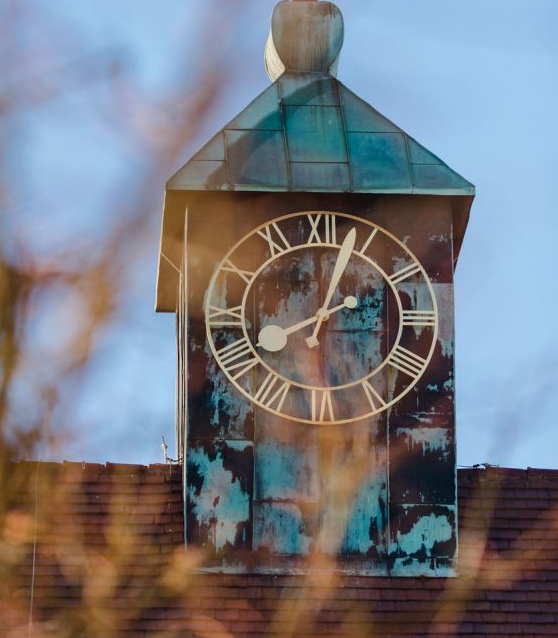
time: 2:03
